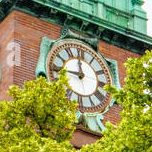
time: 11:45
